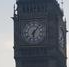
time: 6:06
